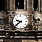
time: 9:38
